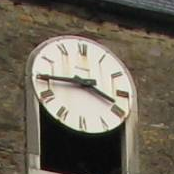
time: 3:44
